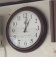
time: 1:01
